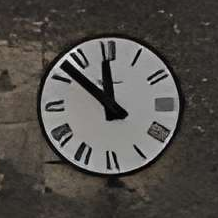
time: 11:52
